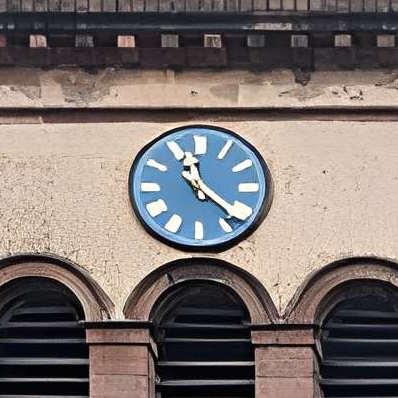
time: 11:21
